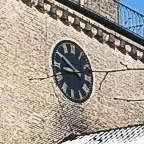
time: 8:50
